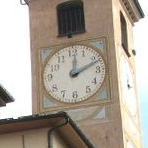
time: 12:11
